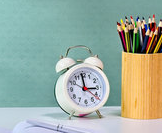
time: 2:59
